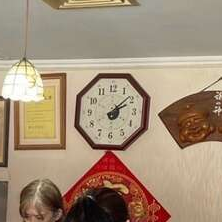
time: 2:08
